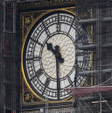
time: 10:30
